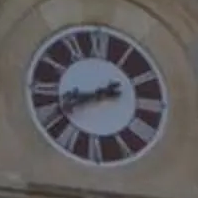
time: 8:40
